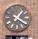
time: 1:20
